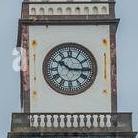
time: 10:15
